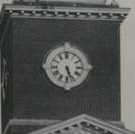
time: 5:26
